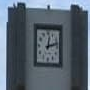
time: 12:12
